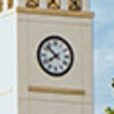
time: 7:52
